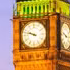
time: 9:47
